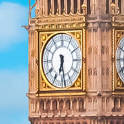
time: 6:28
